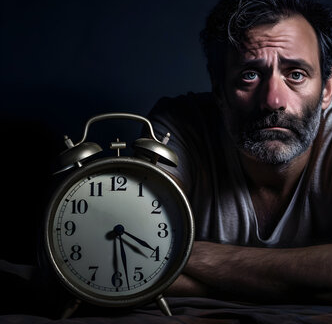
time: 6:19
